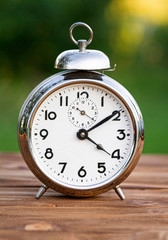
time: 4:09
